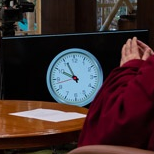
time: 9:55
